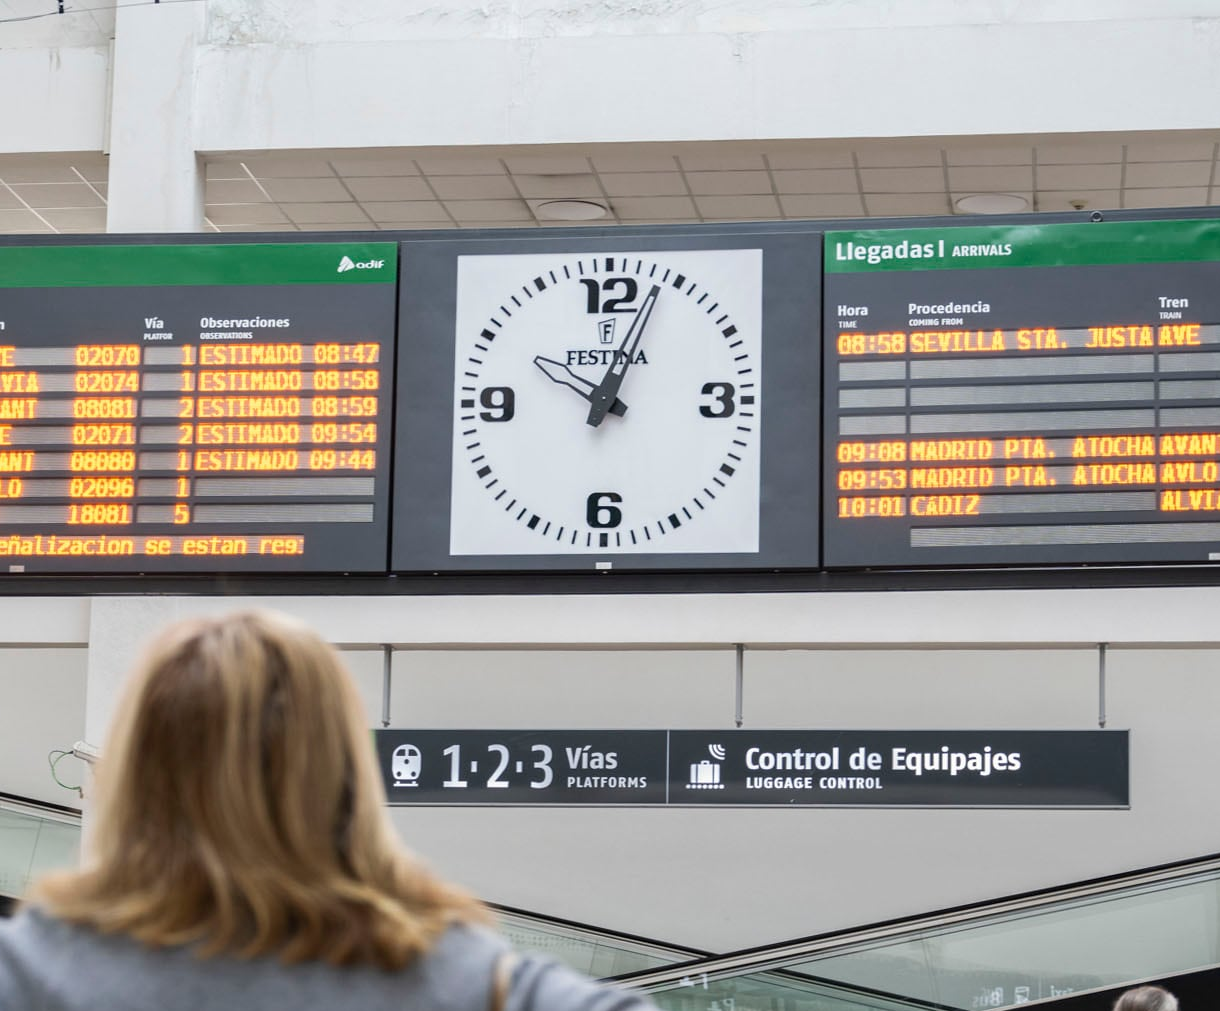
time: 10:03
